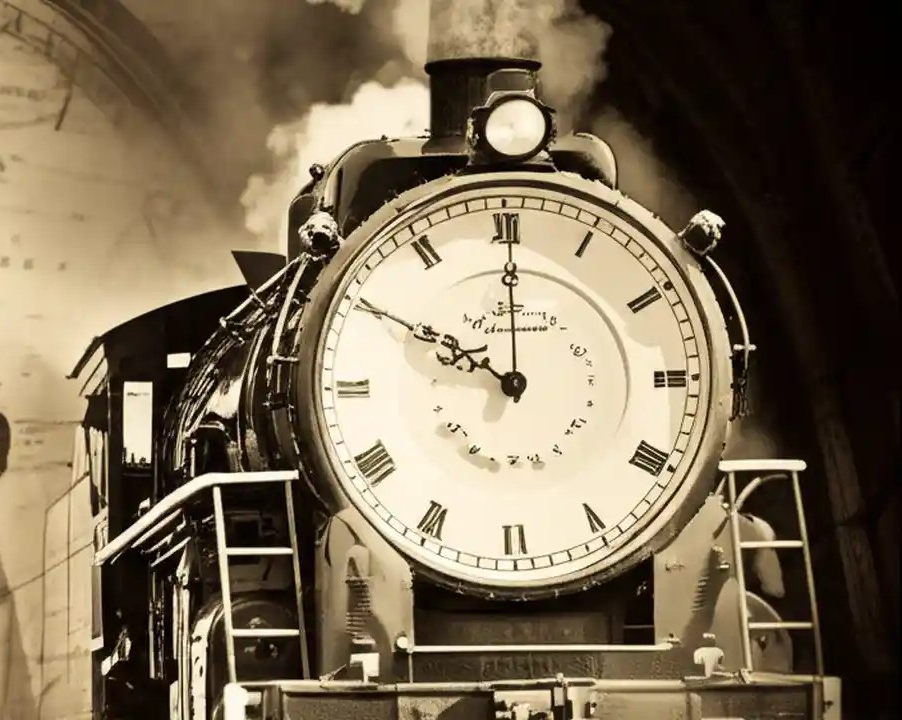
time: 10:00
